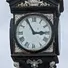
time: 2:55
